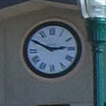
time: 2:49
